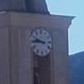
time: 9:45
